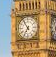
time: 6:54
